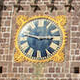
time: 2:46
